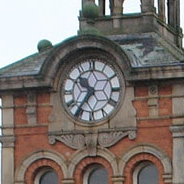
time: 10:36
